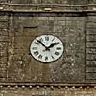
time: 1:52
